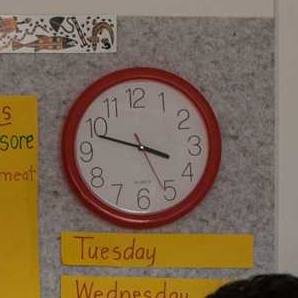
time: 3:48
